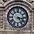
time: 3:24
